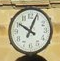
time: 10:03
